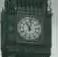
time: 11:02
